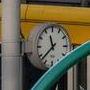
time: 11:37
